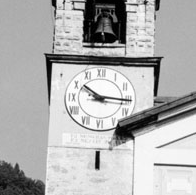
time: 10:16
